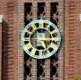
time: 5:15
